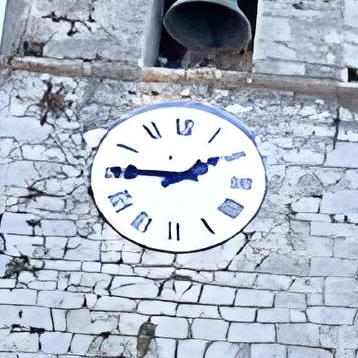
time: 1:45
